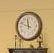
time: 11:48
